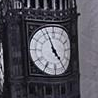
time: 4:56
